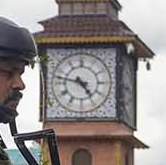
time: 4:47
